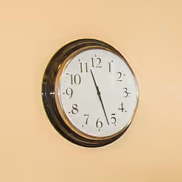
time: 11:27
